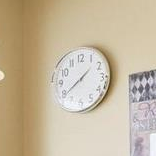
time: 1:39
